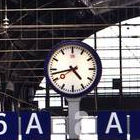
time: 4:42
